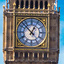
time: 12:52
